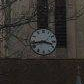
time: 3:43
